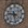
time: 9:28
